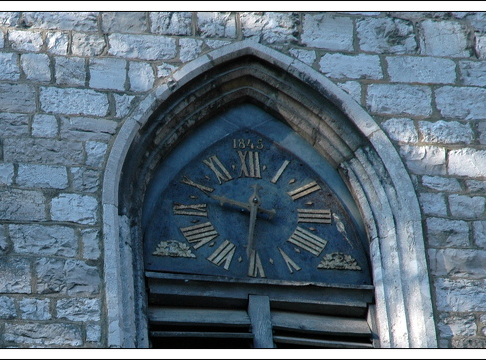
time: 9:31
